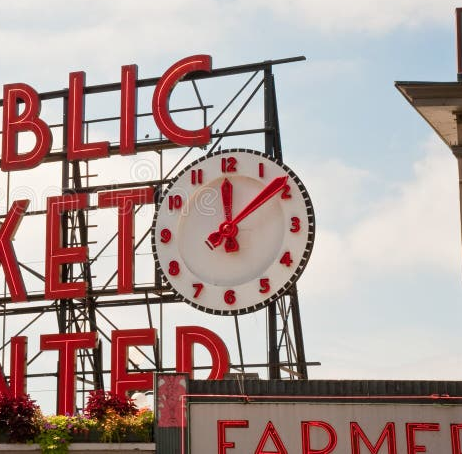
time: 12:08
